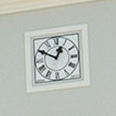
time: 12:49
